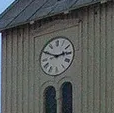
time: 2:49
